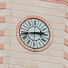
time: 2:43
